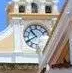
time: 10:39
